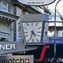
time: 4:33
